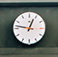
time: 12:46
